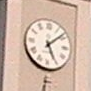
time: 5:08
